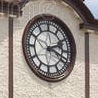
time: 2:18
